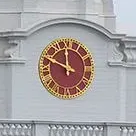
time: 11:48
